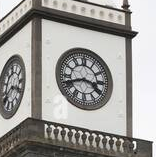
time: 3:41
